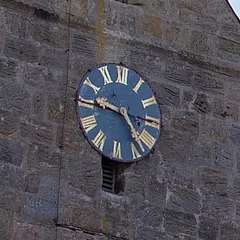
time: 9:23
